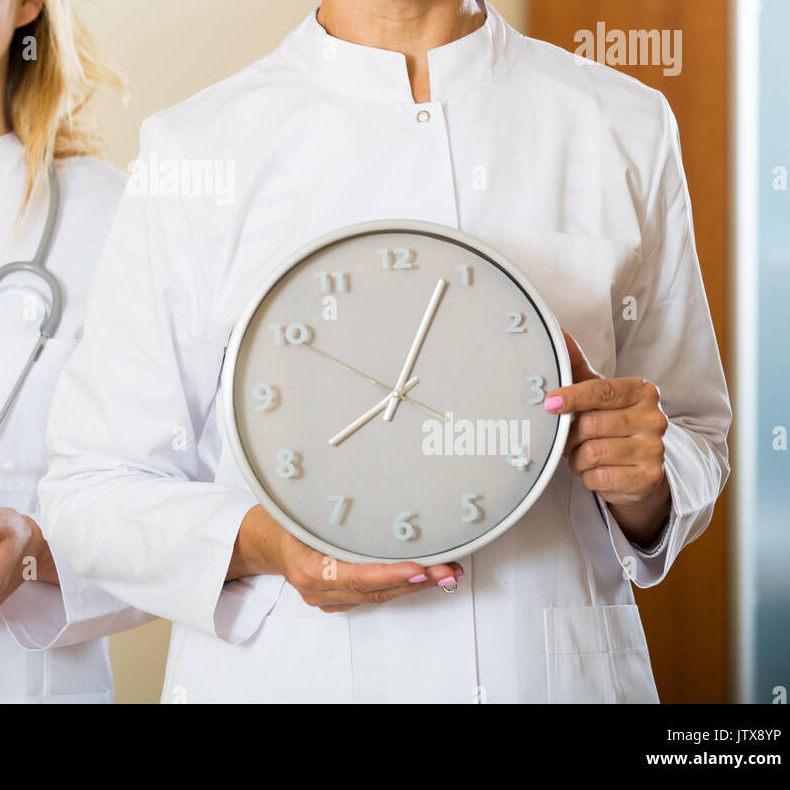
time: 8:03
